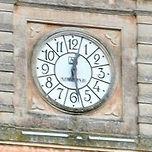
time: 12:27
